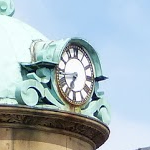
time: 6:43
